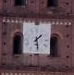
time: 1:28
